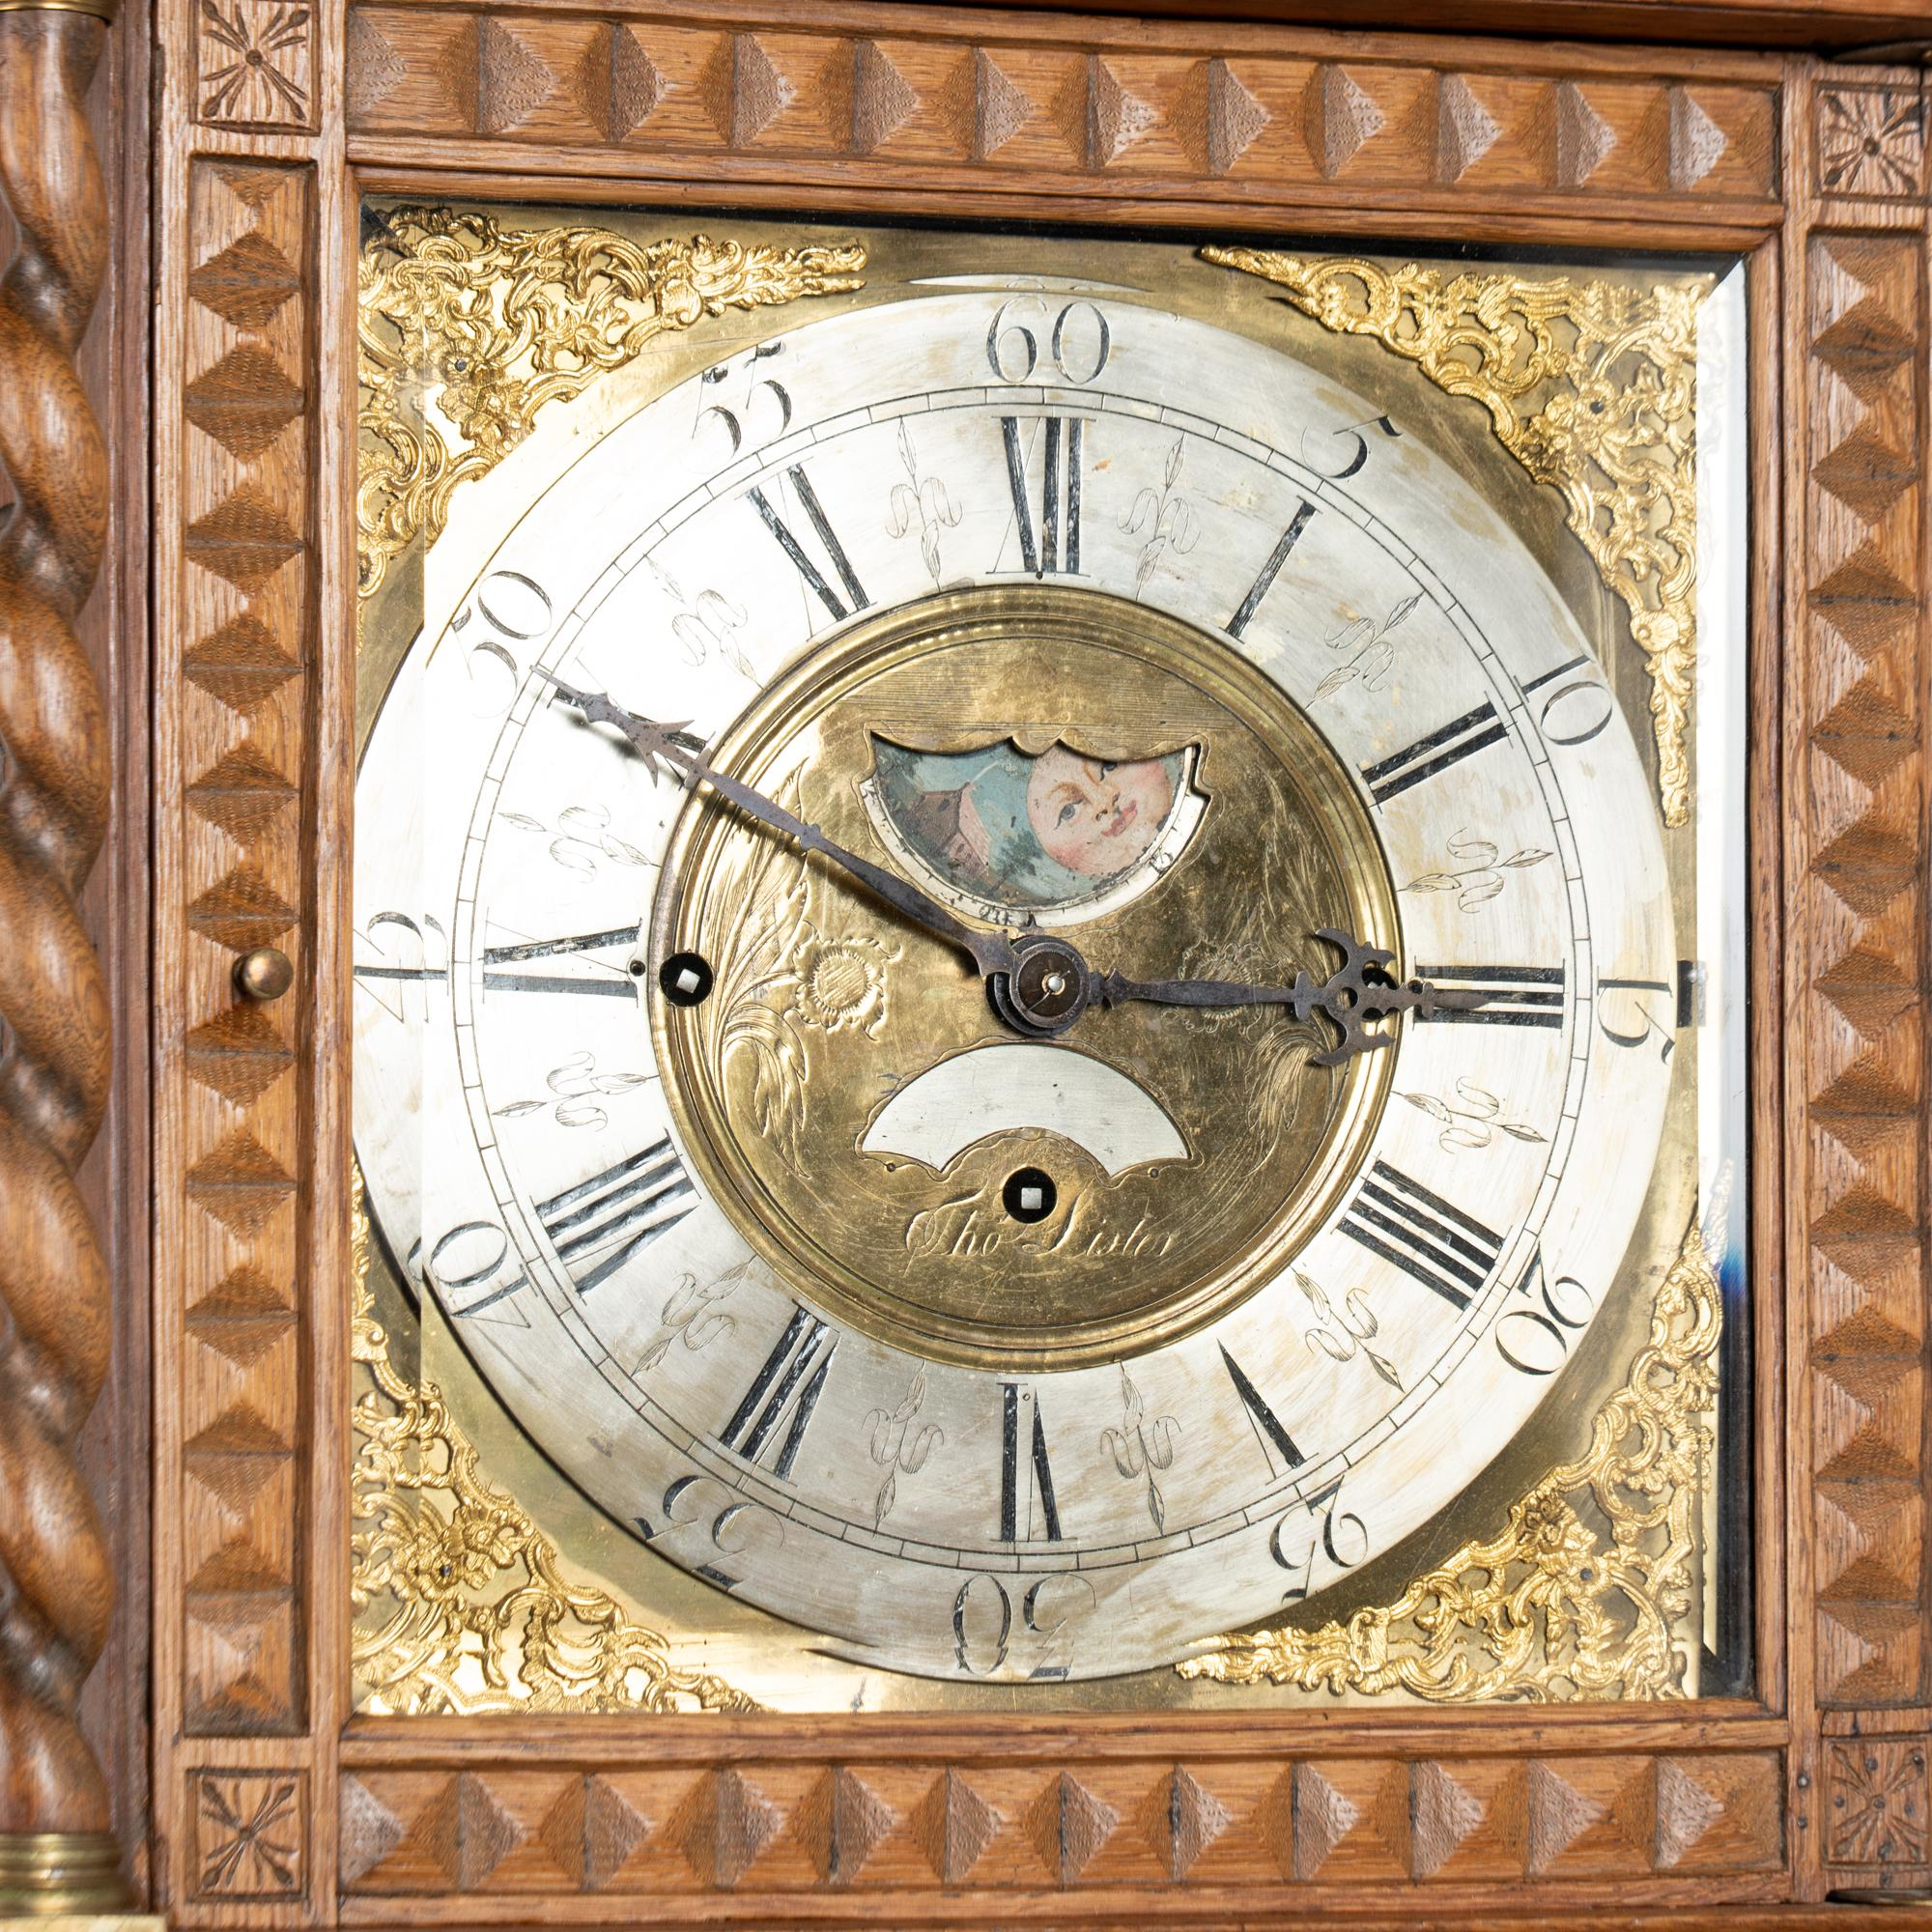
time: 2:49
